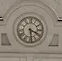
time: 3:29
